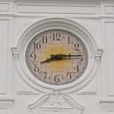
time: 8:14
